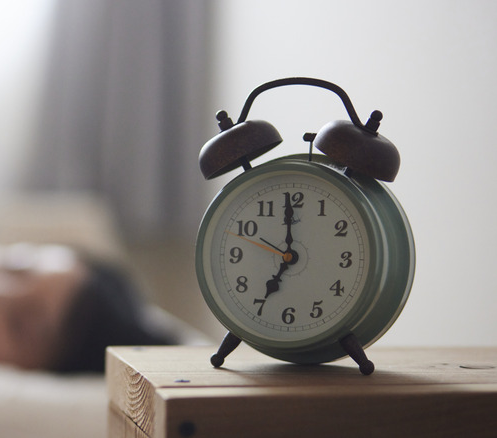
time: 6:59
